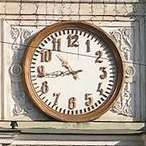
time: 10:43
